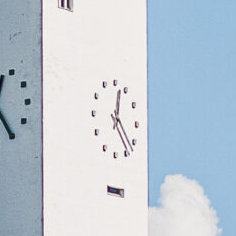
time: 12:23
